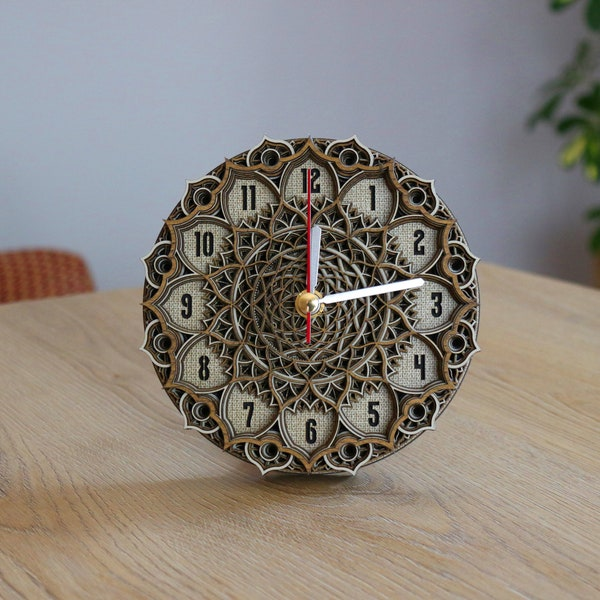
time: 12:13
